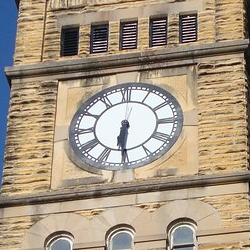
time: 6:30
